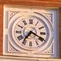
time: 7:19
